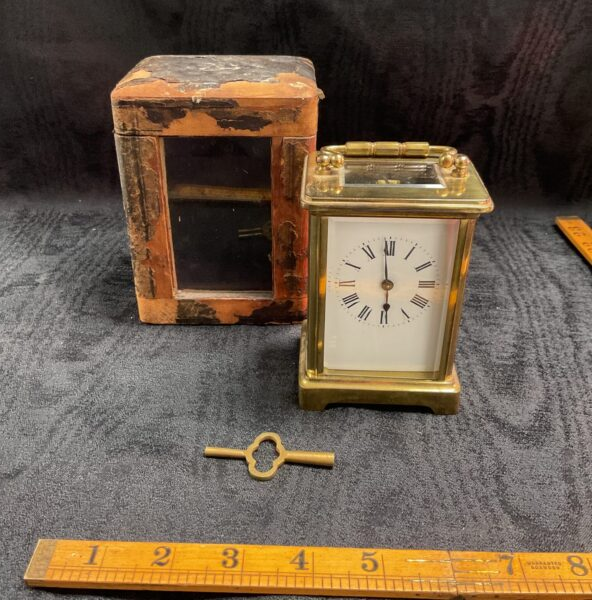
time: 5:59
